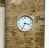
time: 3:34
